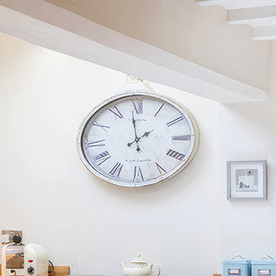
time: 1:58
